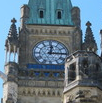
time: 12:14
